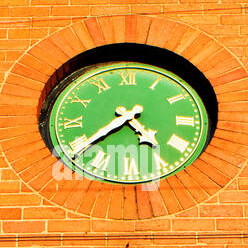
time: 4:38
